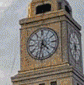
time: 4:32
